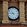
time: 10:45
